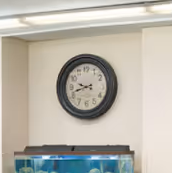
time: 9:42
